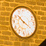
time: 10:20
